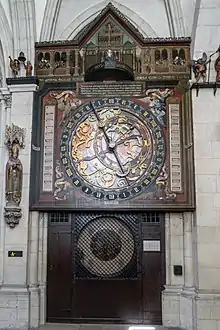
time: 4:56
